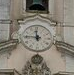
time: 11:45
